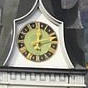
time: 12:12
